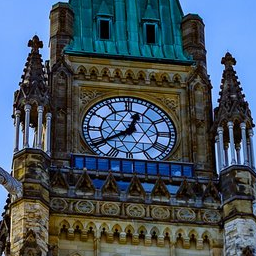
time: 12:39
